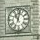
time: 11:02
